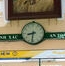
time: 8:32
